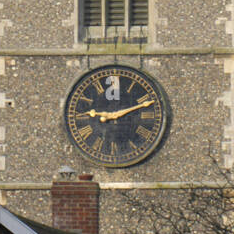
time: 9:11
